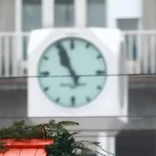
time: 10:56
